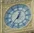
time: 12:36
